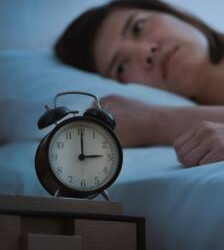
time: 3:00
